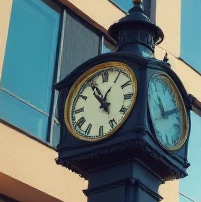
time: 12:54
